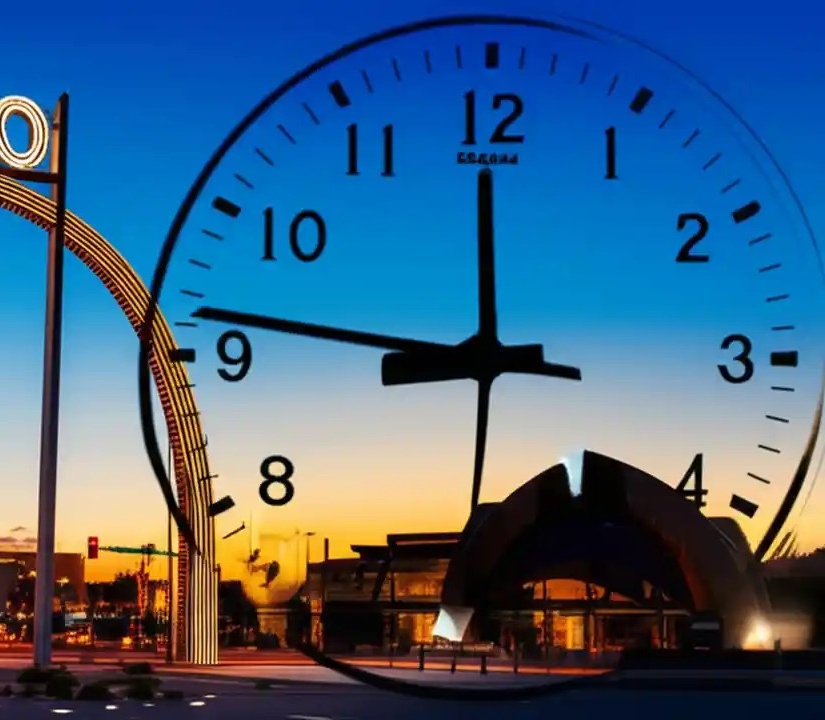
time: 11:46
